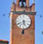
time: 5:40
